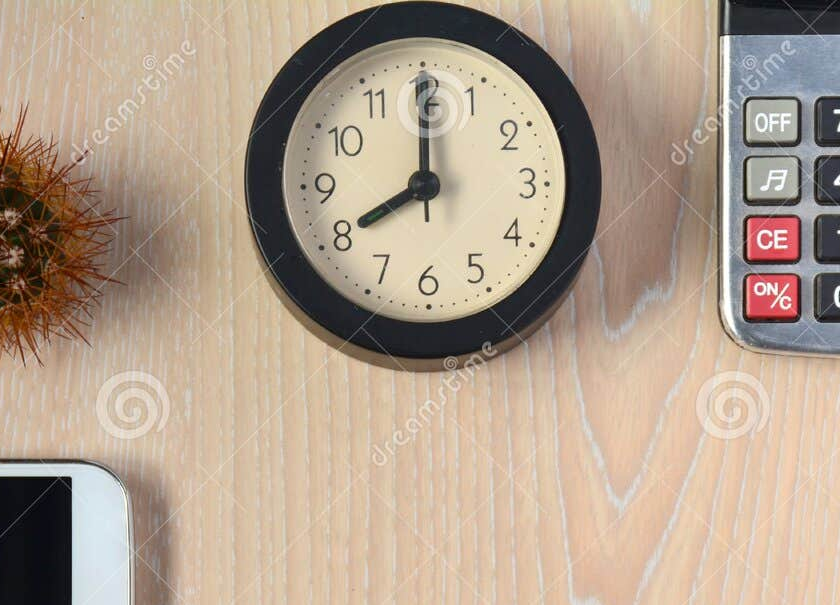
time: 8:00
